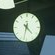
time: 4:32
